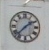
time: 1:37
